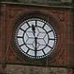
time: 11:29
